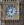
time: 12:46
